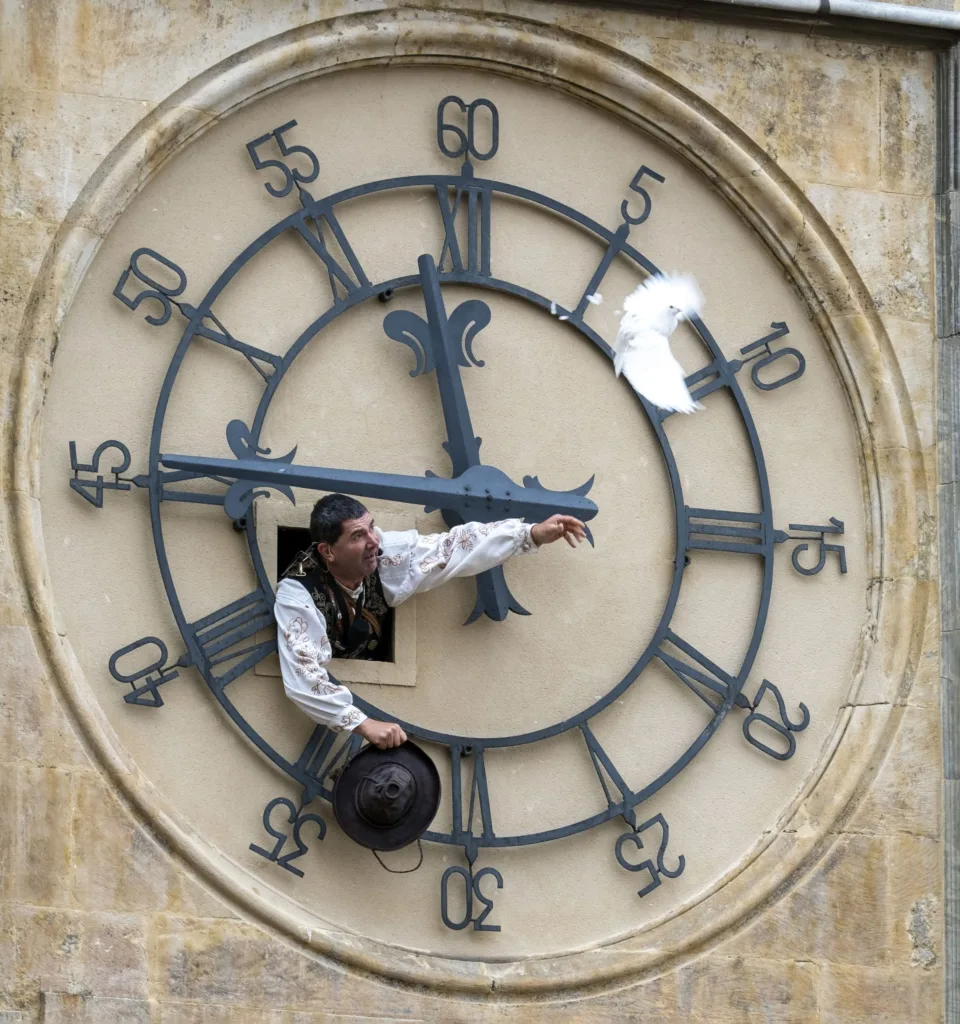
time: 11:45
